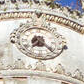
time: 7:23
